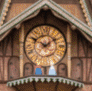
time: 1:50
